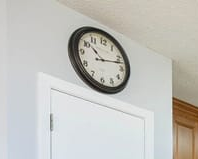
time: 10:12
